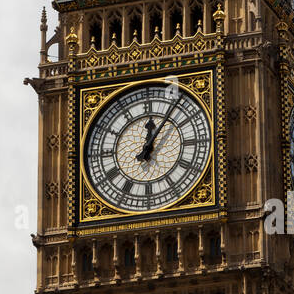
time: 12:06
